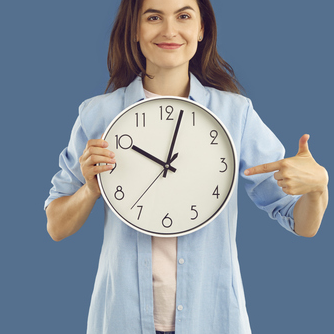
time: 10:02
